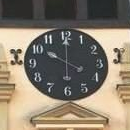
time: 10:00
